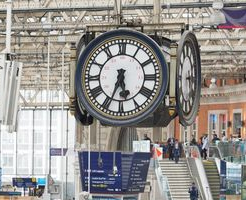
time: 5:33
